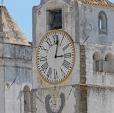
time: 3:02
